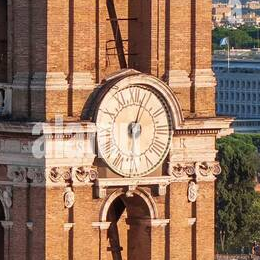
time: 6:03
